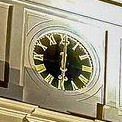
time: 6:00
